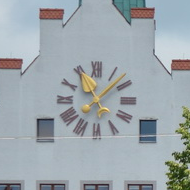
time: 11:07
